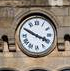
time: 3:49
